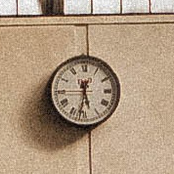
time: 5:31
